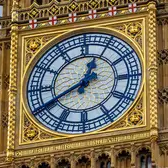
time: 12:40
